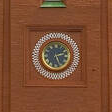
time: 2:26
